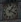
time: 1:18
